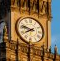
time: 7:47
